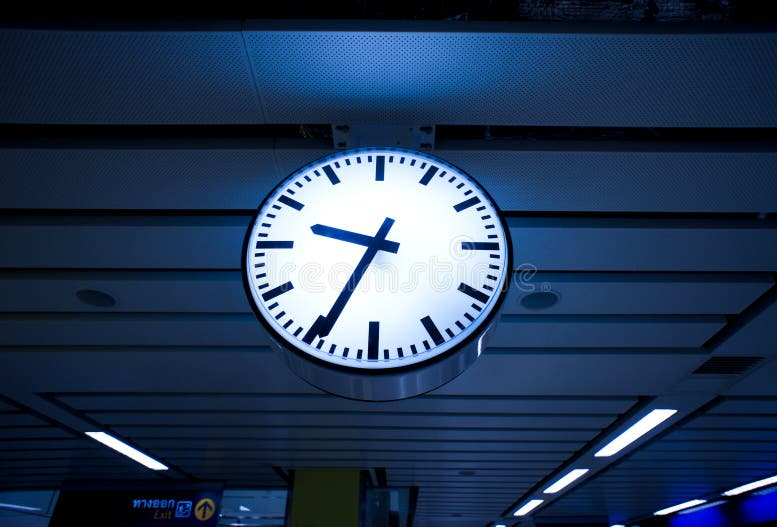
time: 9:34
